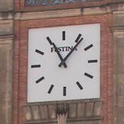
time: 11:06
